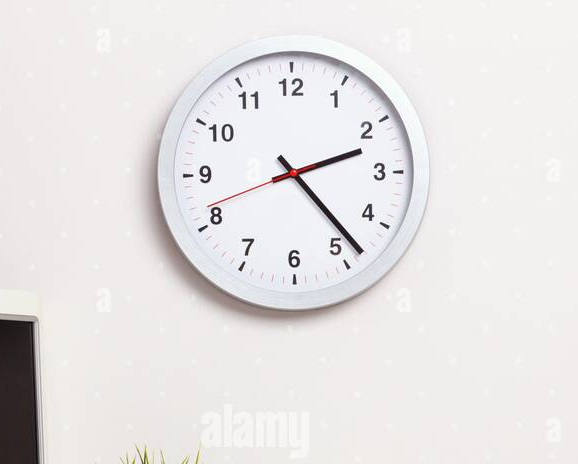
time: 2:23
